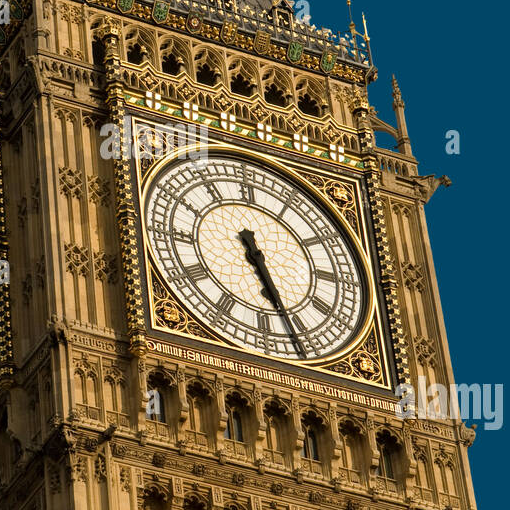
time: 5:26
